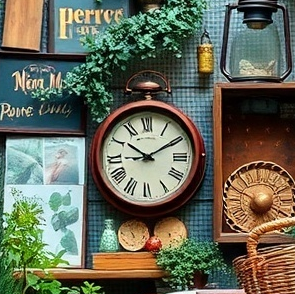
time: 10:10
